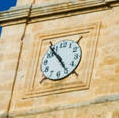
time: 4:53
